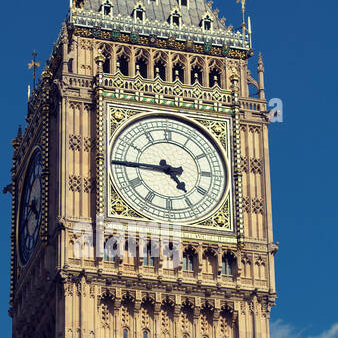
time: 4:44
